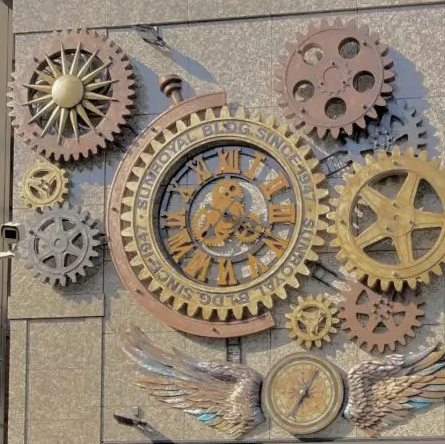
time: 3:37
